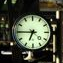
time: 6:45
